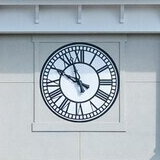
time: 9:56
